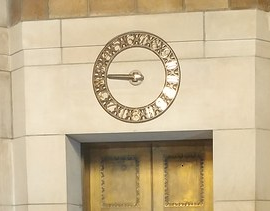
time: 8:45
